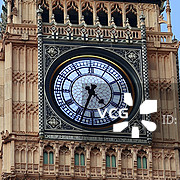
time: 4:33
